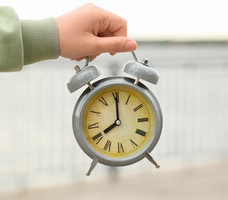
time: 8:00
